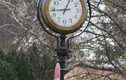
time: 12:43
